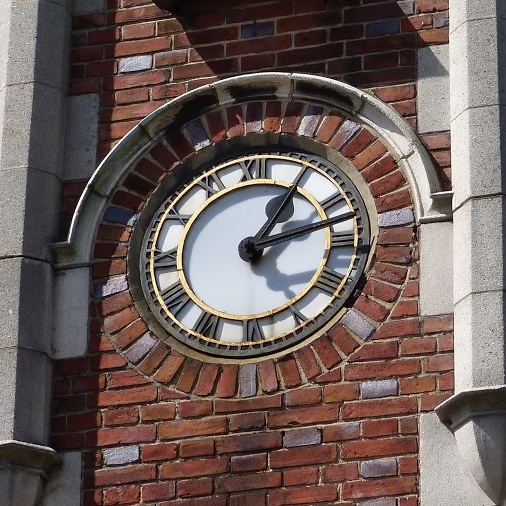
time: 1:12
